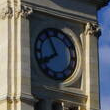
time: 7:54
